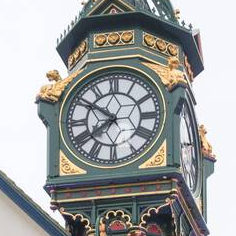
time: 7:50
